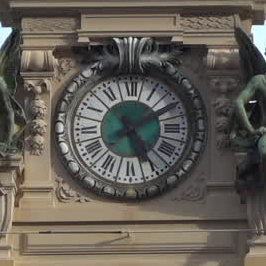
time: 5:10
